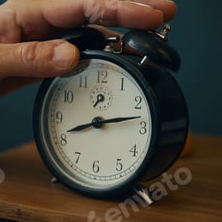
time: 8:13
